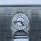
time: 4:42
